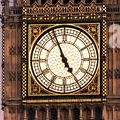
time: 4:56
